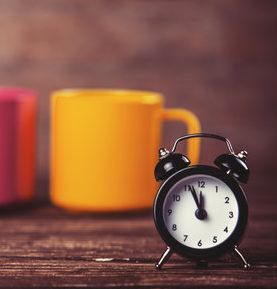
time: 11:56
